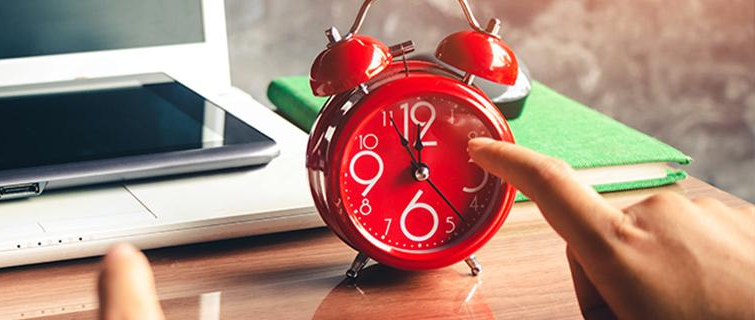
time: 11:55
